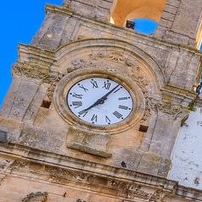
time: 7:04
